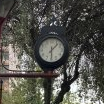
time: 1:29
